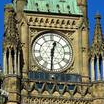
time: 12:30
